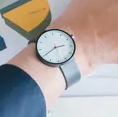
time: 2:39
